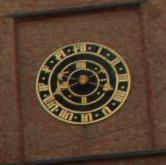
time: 3:40
